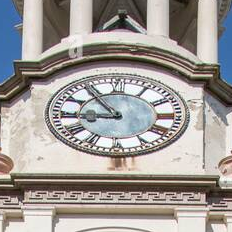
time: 8:53
